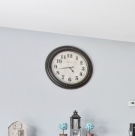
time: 4:42
